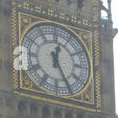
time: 12:25
